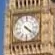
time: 4:21
